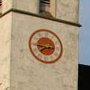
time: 7:44
